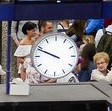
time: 9:48
